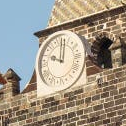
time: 10:00
